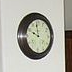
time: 9:58
